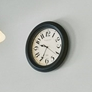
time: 9:34
